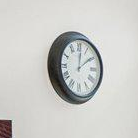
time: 12:09
